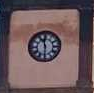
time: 11:30
